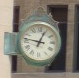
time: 12:46
